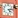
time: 4:12
